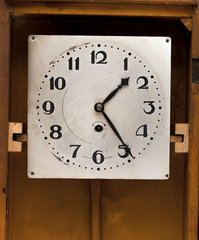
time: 1:24
